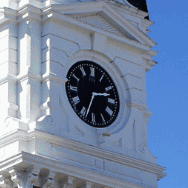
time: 2:33
